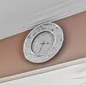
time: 3:33
